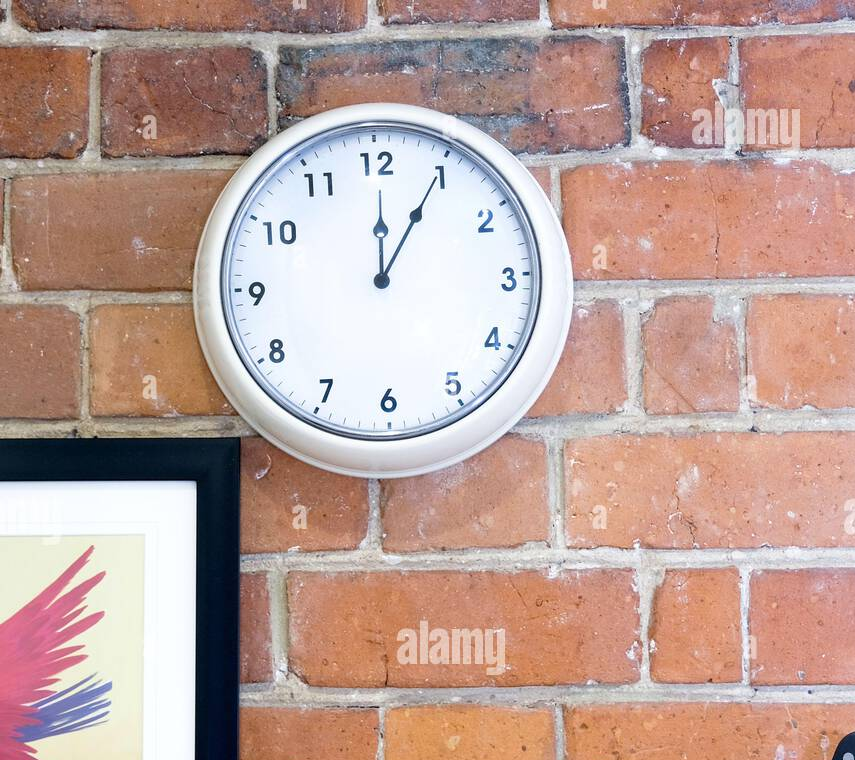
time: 12:04
